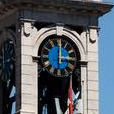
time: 3:00
